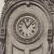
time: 11:07
